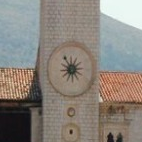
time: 12:55
